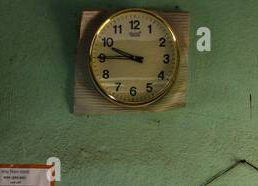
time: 9:45
